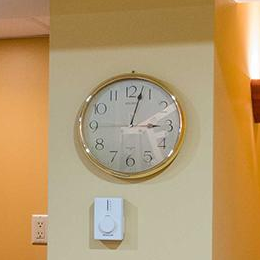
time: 3:02
